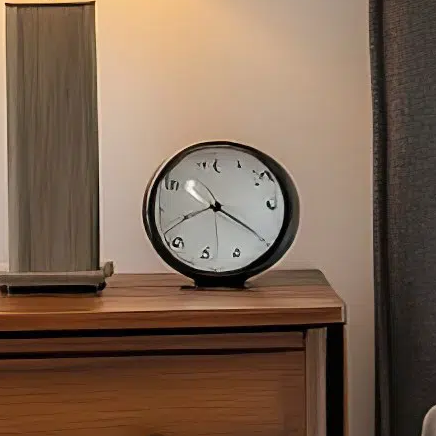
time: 8:20
